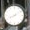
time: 8:09
